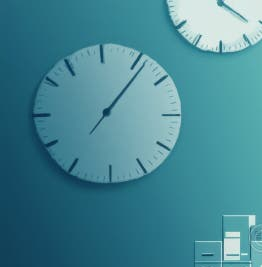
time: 1:06
